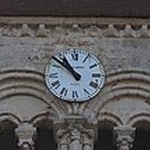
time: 10:51
